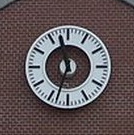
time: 11:33
